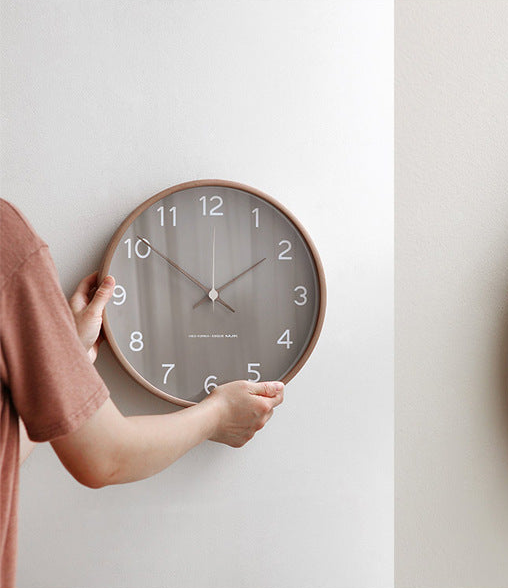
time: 1:50
